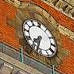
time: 7:32
